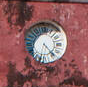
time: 4:33
